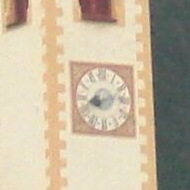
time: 8:12
